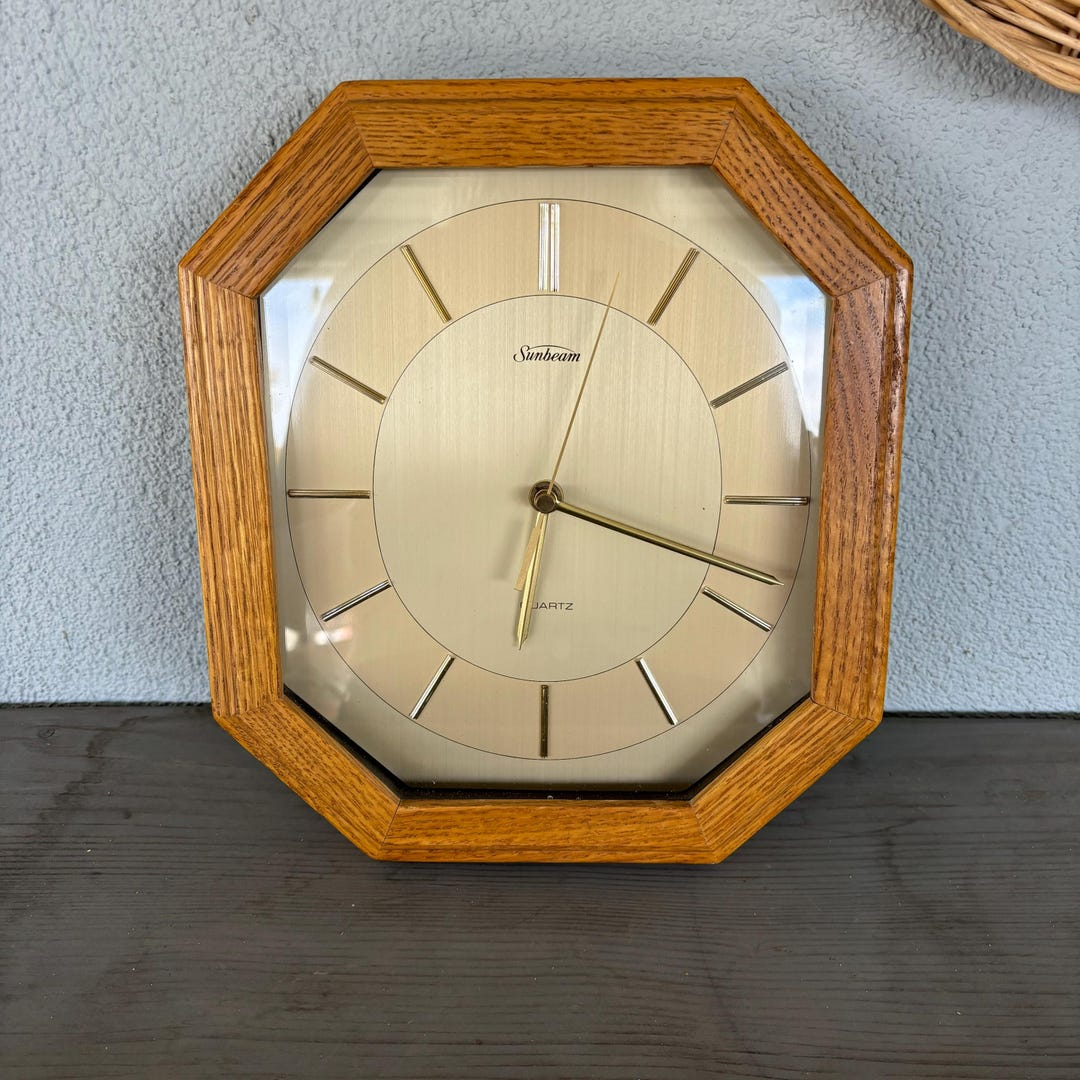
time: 6:18
